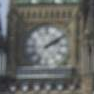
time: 2:09
